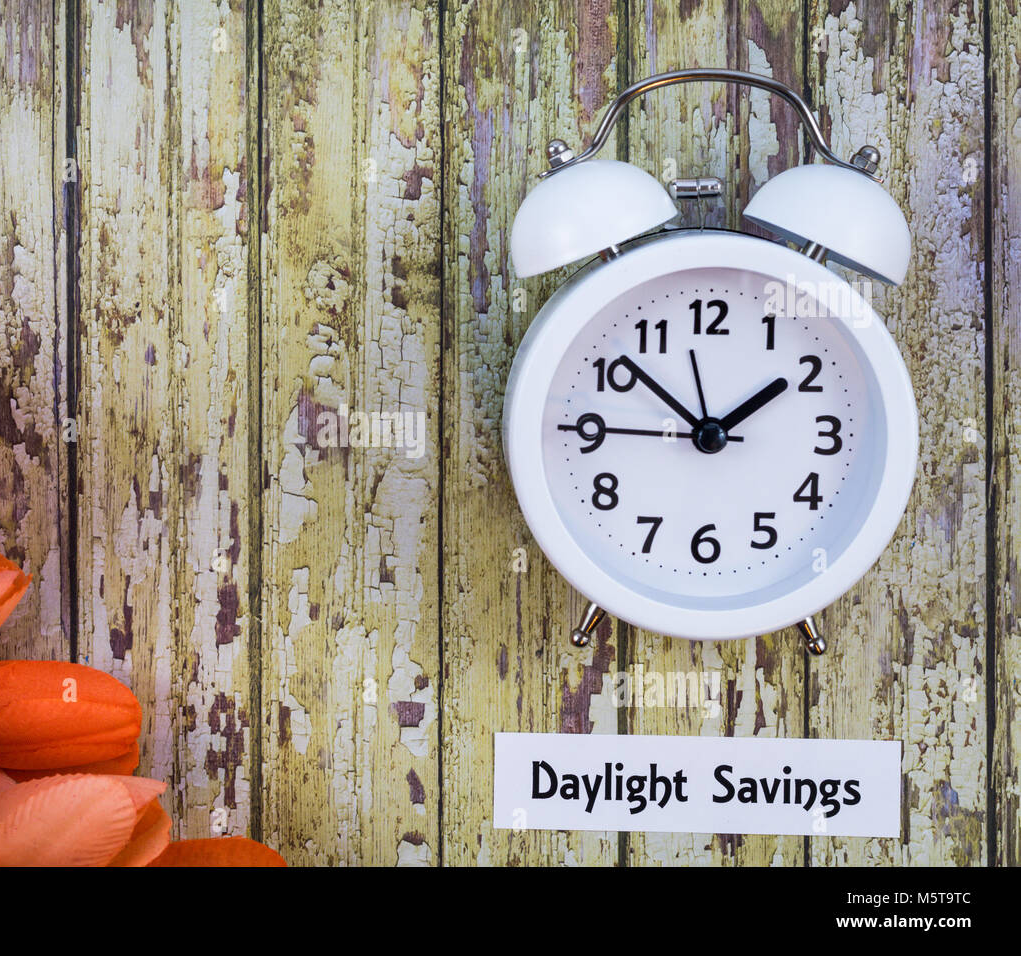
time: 1:51
